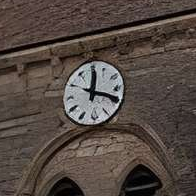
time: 12:18
